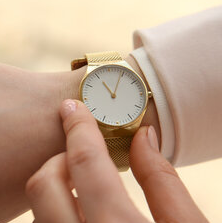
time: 11:04
